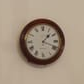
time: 1:18
